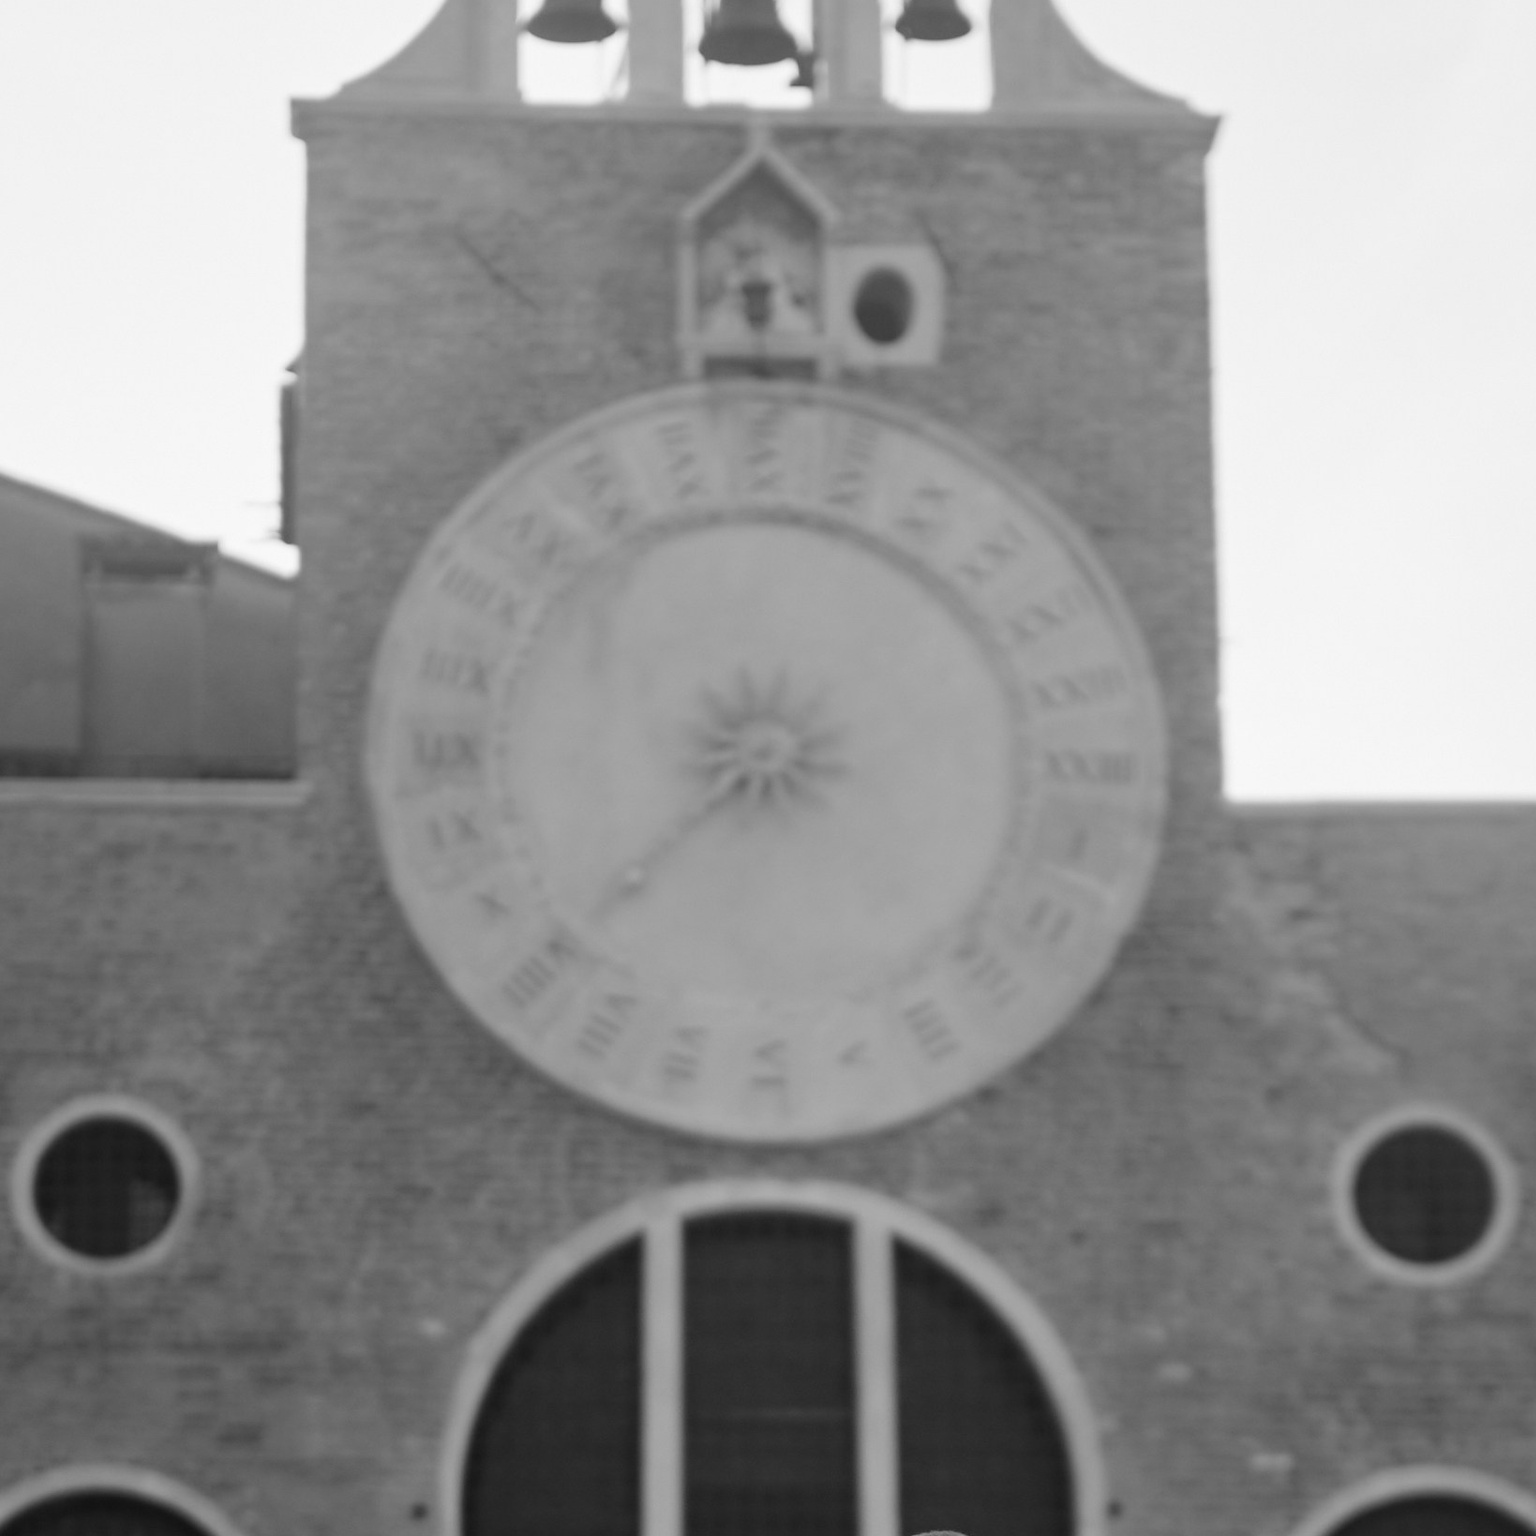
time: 7:37
